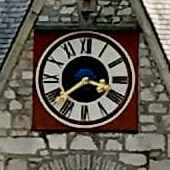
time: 3:38
